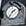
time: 1:36
